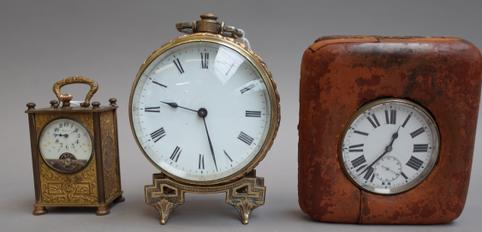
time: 9:27
